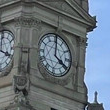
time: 4:00
